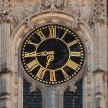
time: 6:44
